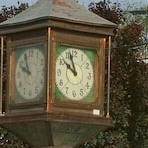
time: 9:57
